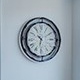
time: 10:31
